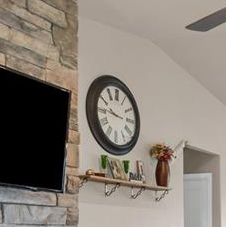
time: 9:45
